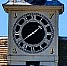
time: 1:39
